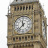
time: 11:37
